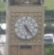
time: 5:23
